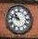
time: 10:47
